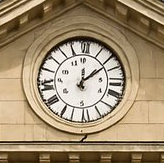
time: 12:07
